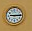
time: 9:15
